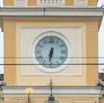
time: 6:31
